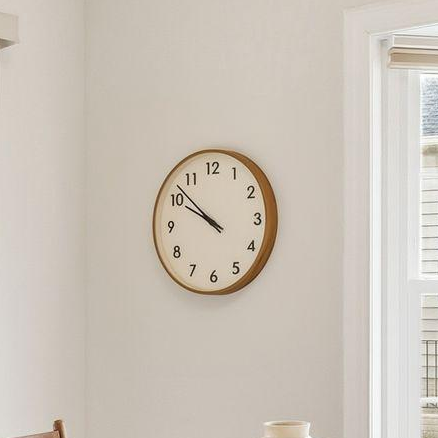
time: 9:51
